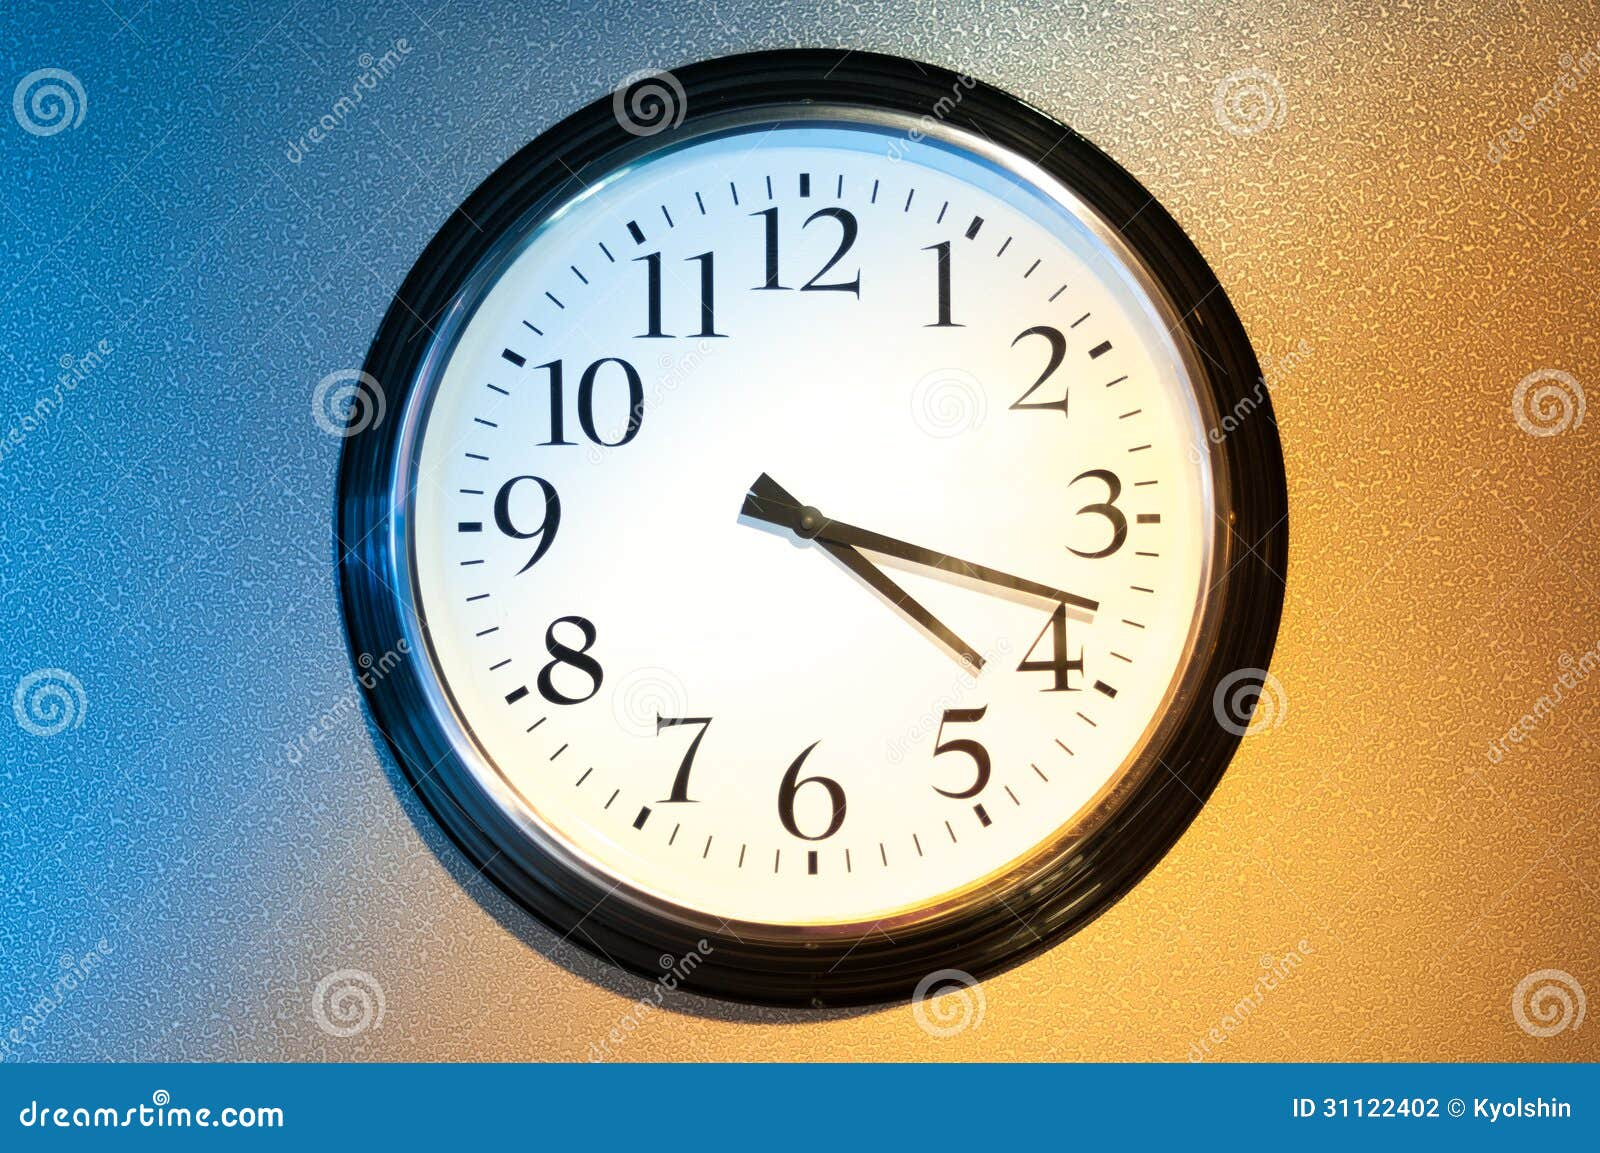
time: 4:18
